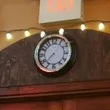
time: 7:37
